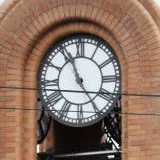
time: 4:56
